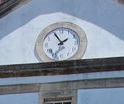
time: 1:55
